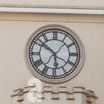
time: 5:51
